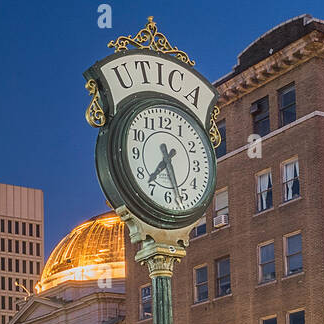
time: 7:27
